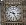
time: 9:25
